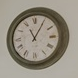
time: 11:05
